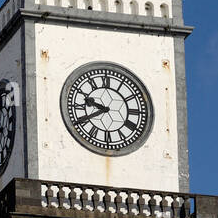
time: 9:40
